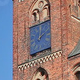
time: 2:01
